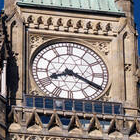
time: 8:19
